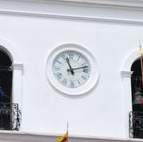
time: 11:12
